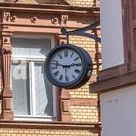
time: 2:48
